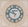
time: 10:47
